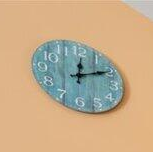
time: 12:10
